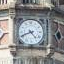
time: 4:41
